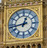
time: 12:43
